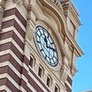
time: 12:14
